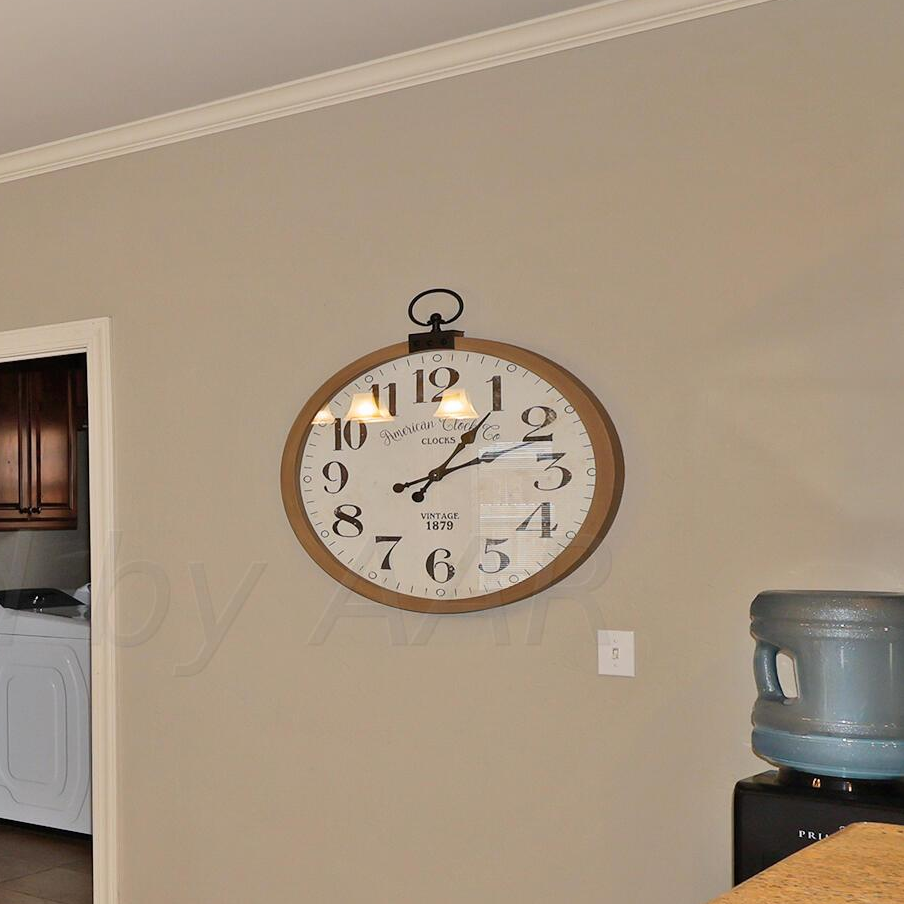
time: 1:11
